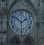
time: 1:51
